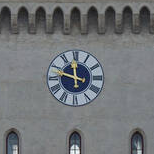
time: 11:47
